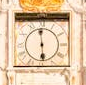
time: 5:59
